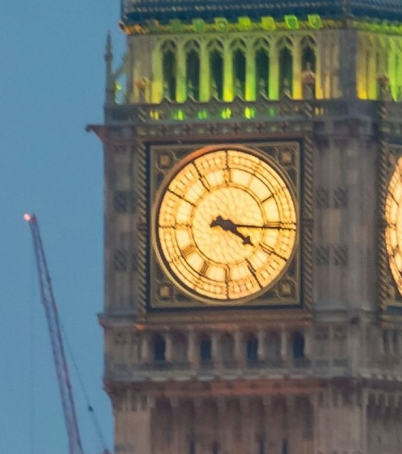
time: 4:15
